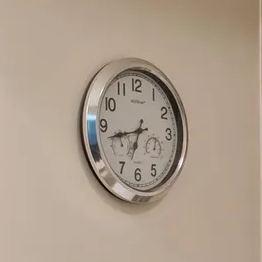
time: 6:42
